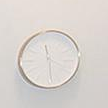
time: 11:29
